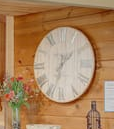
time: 1:33
